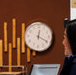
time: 12:19
